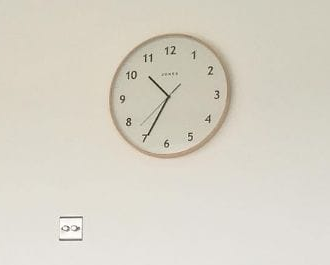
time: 10:34
